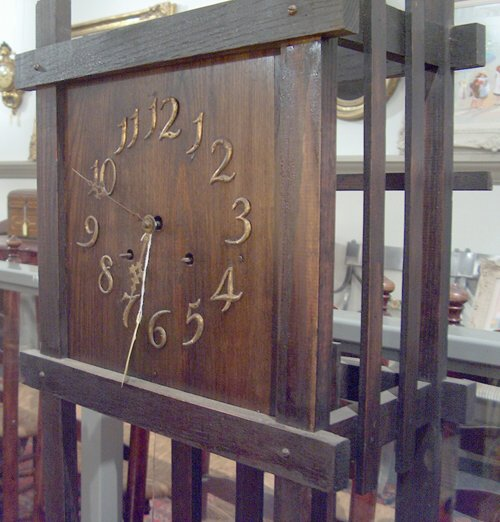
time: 6:32
